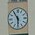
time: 5:54
